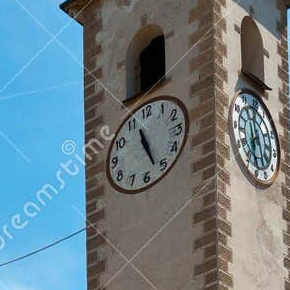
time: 11:26
